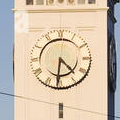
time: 4:31
